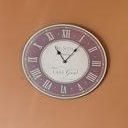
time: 11:06
